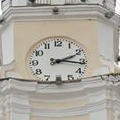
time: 2:16
